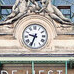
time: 9:34
